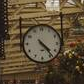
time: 4:23
